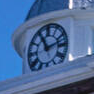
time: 11:12
